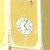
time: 5:04
